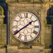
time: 1:39
